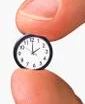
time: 2:00
